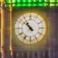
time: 10:51
